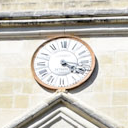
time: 4:18
